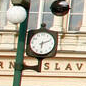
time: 6:11
